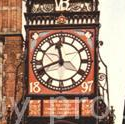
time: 11:41
